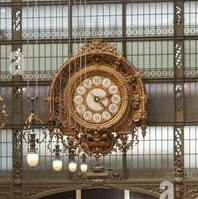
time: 2:22
